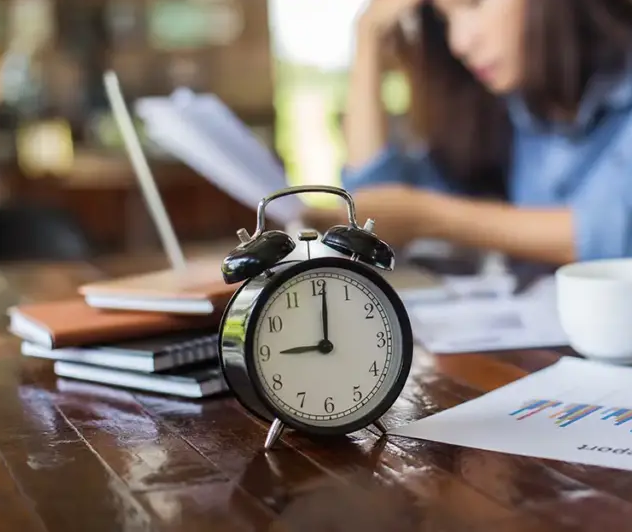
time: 9:01
